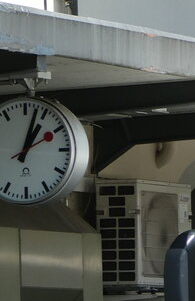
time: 1:02
